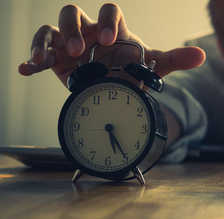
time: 5:24
